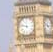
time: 11:47
